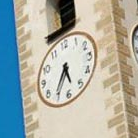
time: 5:35
